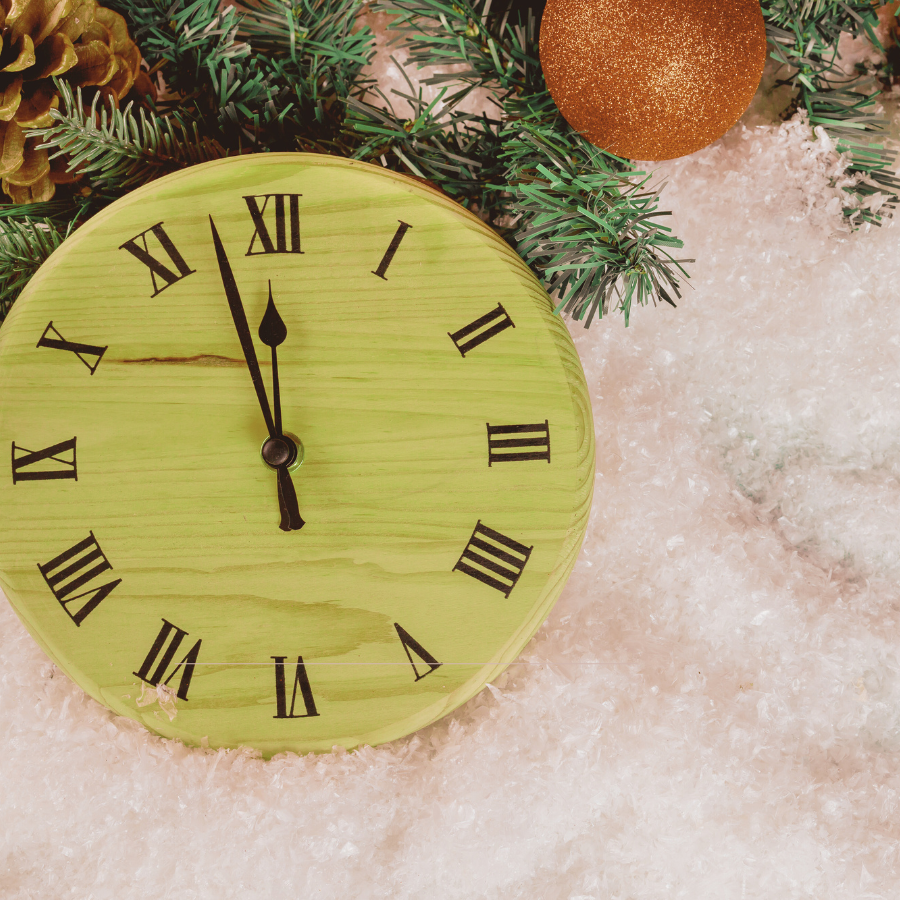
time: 11:57
